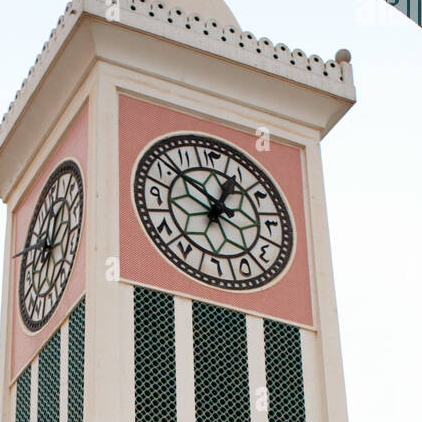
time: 12:51
